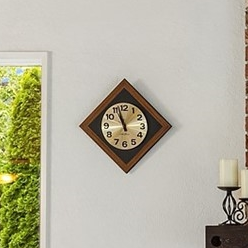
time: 10:56
